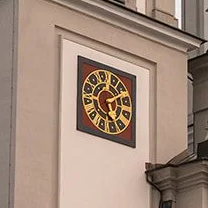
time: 5:09
